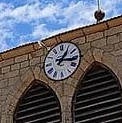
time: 1:16
